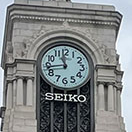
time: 11:43
